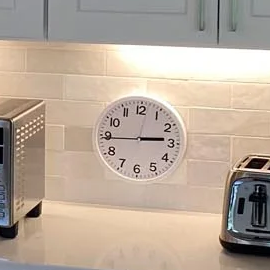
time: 2:44
